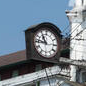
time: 10:45
